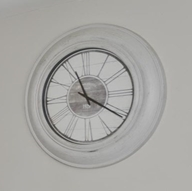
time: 11:19
